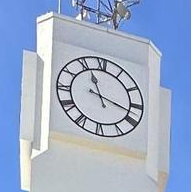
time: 11:17
